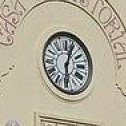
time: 6:03
